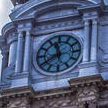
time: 11:40
